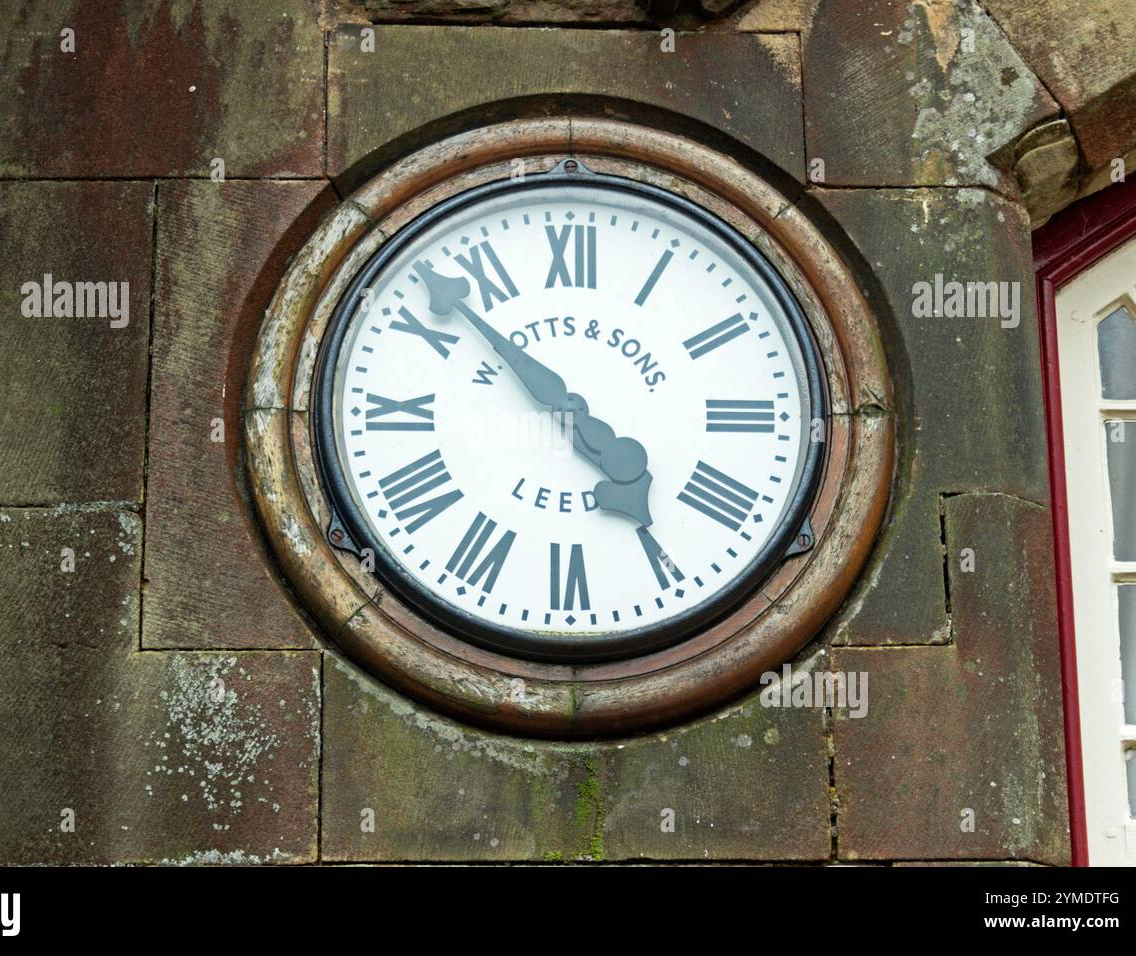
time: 4:52
